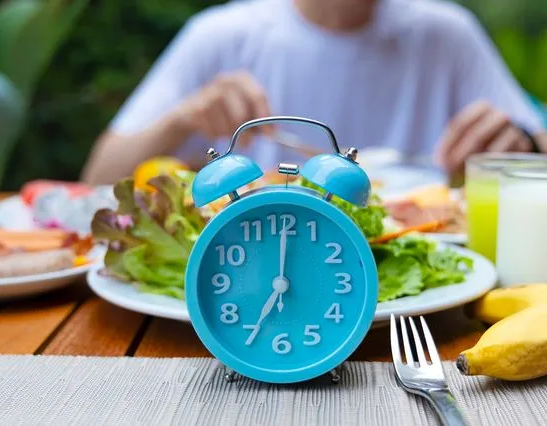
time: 7:00
